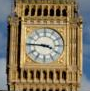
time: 3:45
